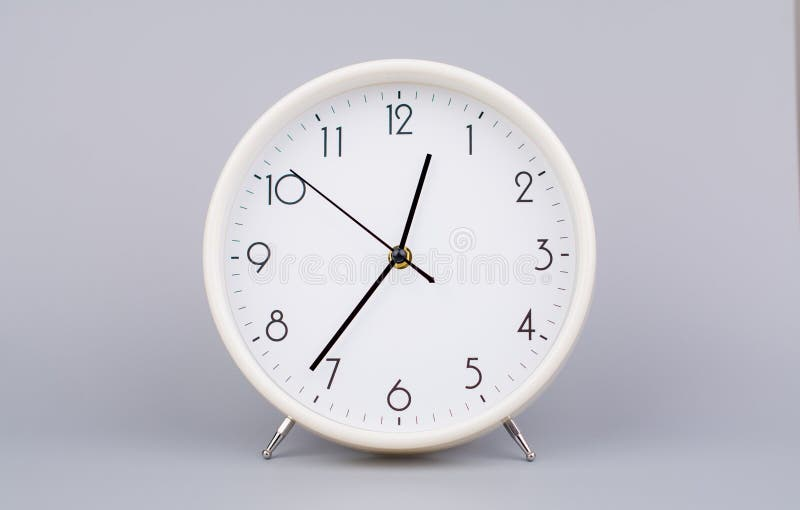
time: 12:36
